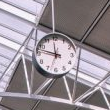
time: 11:47
